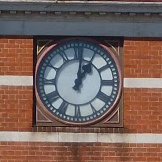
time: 1:01
